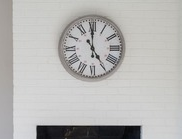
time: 4:59
